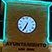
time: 6:34
